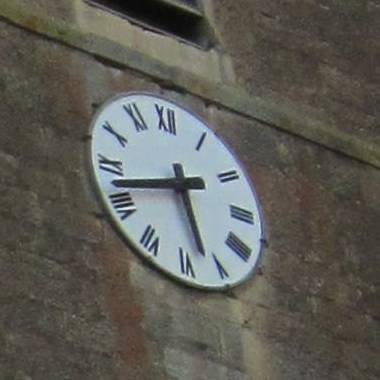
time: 5:42
